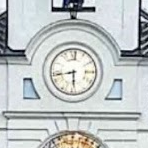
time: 5:43
